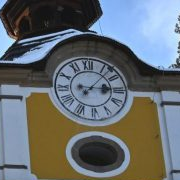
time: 3:07
